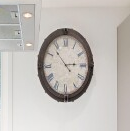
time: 2:53
